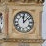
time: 12:07
